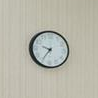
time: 9:35
